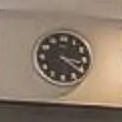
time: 3:21
